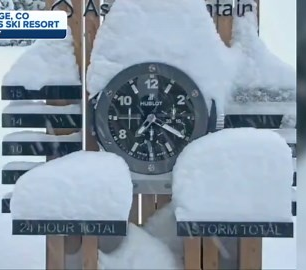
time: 7:19
